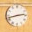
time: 2:42
